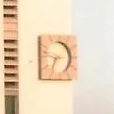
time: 6:47
